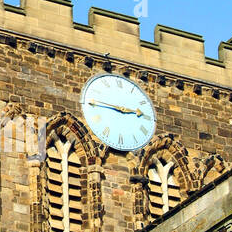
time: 2:45
